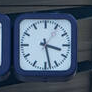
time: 3:28
